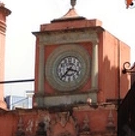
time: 3:37
